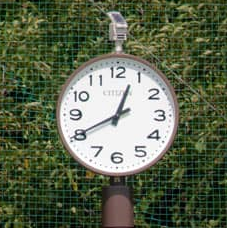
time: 12:40
